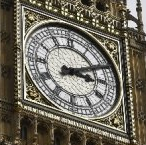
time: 3:10
